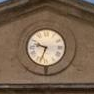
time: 9:33
